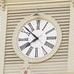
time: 7:51
